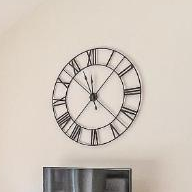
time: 11:37
